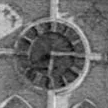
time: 6:14
